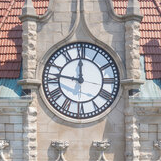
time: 11:46
